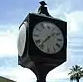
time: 1:36
